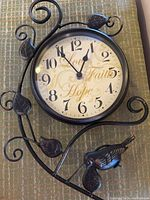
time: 12:54
